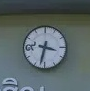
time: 3:32
